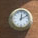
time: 12:10
